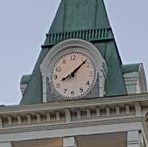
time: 8:07
